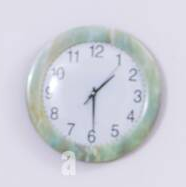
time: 1:29
